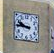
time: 9:45
